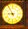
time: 8:55
